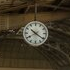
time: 10:21
